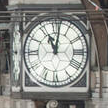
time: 11:01
